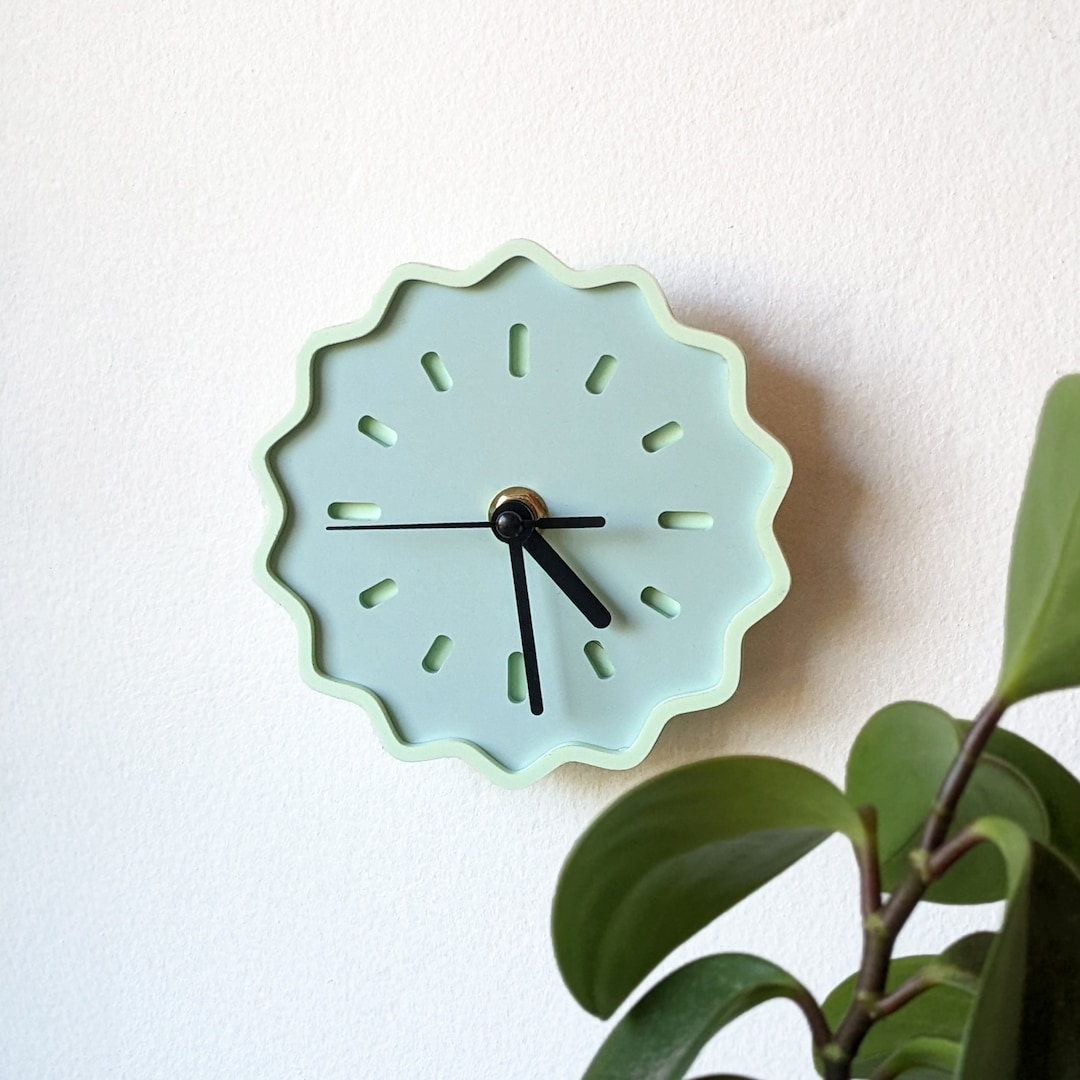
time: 4:29
